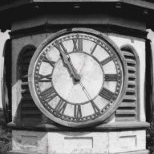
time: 10:55
